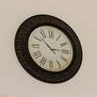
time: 10:14
